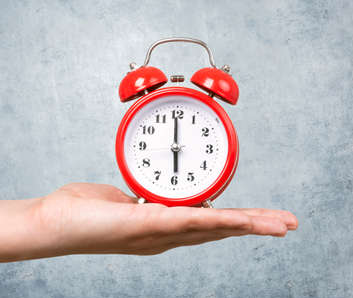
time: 5:59
